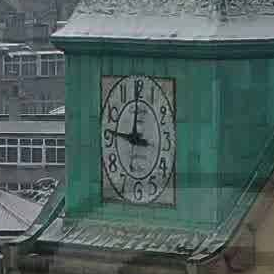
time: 11:46
